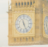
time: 11:26
